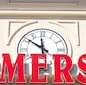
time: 11:50
